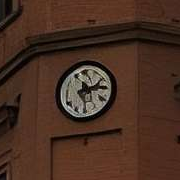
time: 2:29
